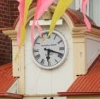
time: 6:18
